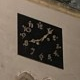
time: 8:06
